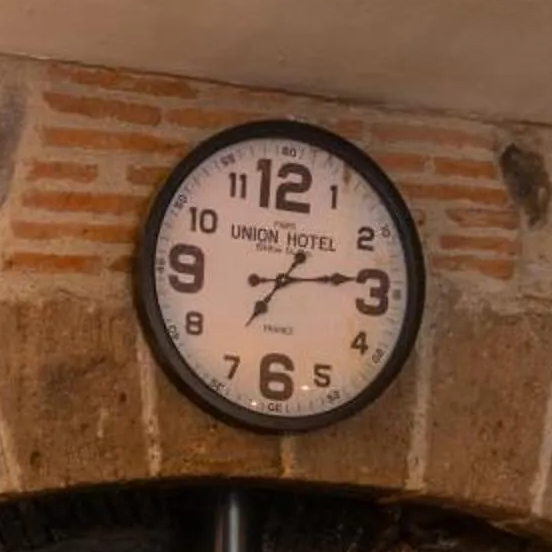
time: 1:13
